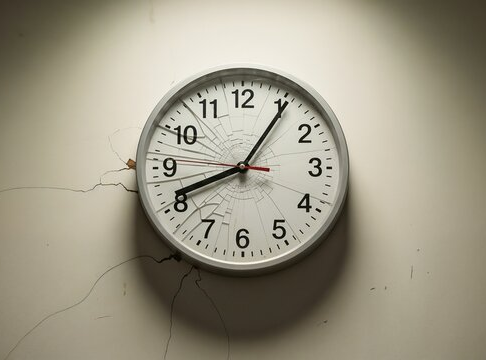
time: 8:05
